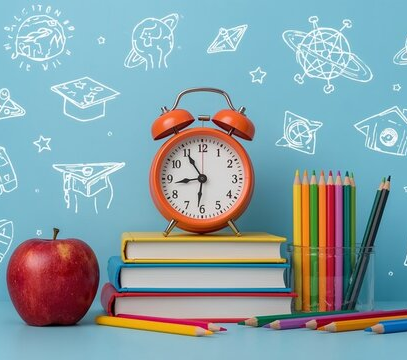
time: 8:54
